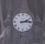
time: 2:14
